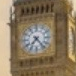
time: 7:23
